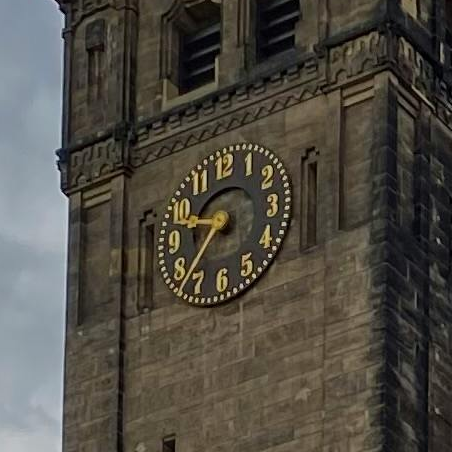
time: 9:37
